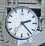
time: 2:23
